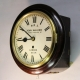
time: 8:50
